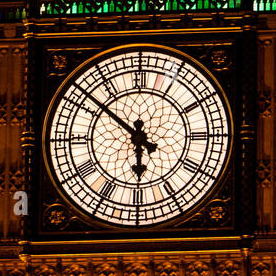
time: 5:51
